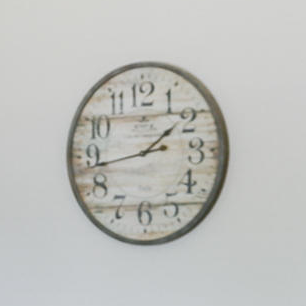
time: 1:43
